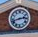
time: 2:42
